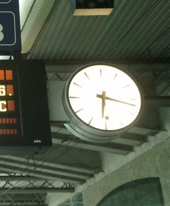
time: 6:17
